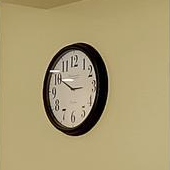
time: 2:49
